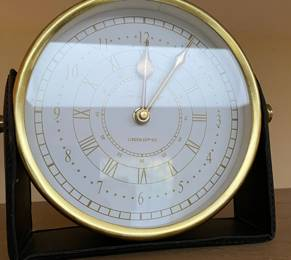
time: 12:05
